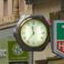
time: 11:35
